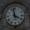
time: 3:58
